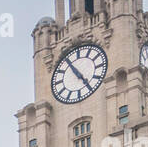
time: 4:54
